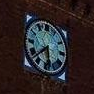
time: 5:38
